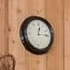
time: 12:14
